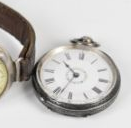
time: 10:33
